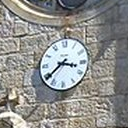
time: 3:38
